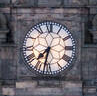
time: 7:32
